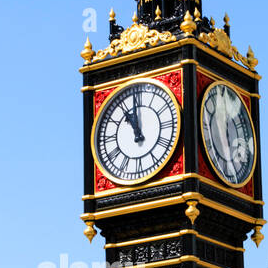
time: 10:59
